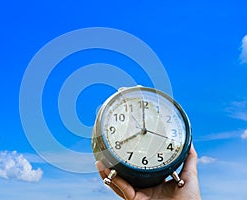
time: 8:00
